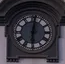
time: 6:01
